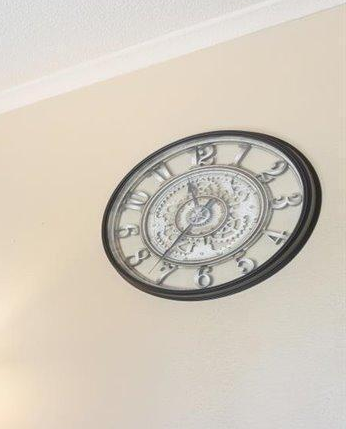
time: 11:36
